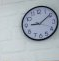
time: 9:09
